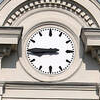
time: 8:45
